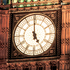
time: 4:59
